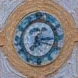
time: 7:15
